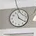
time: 11:21
